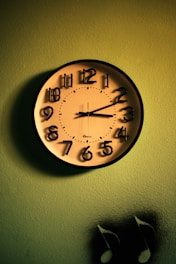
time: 3:11
